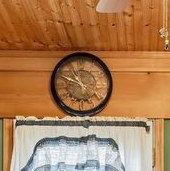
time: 10:48
